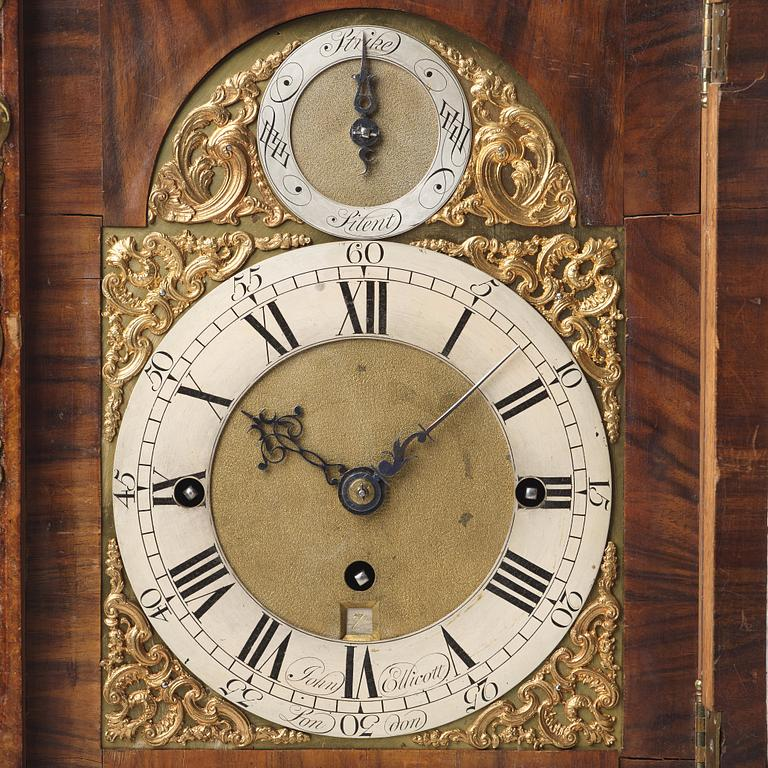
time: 10:07
